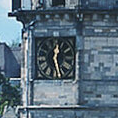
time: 12:26
